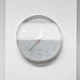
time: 12:37
